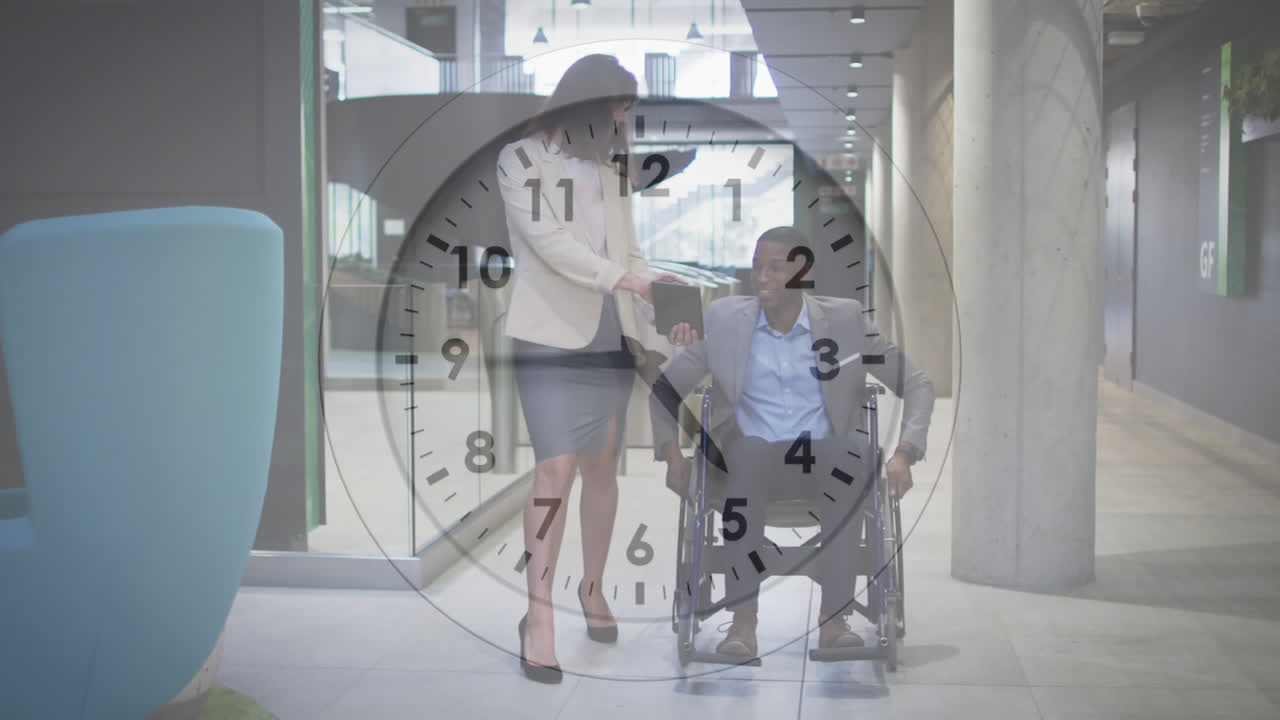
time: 4:44
